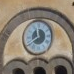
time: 11:39
